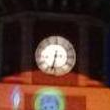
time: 6:32
